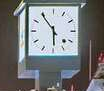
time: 5:54
